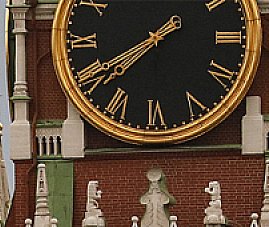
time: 7:40
